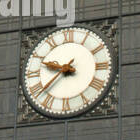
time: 9:38
